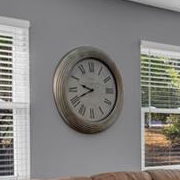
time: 9:41
